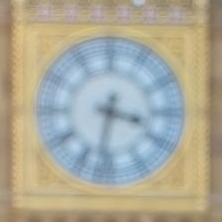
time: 3:32
